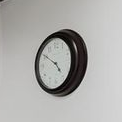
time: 4:50
